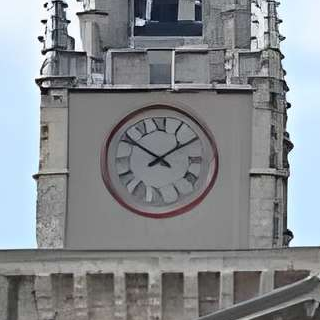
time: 1:50
